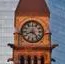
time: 8:23
